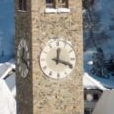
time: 12:18
